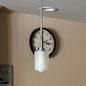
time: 2:59
